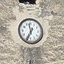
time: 11:34
